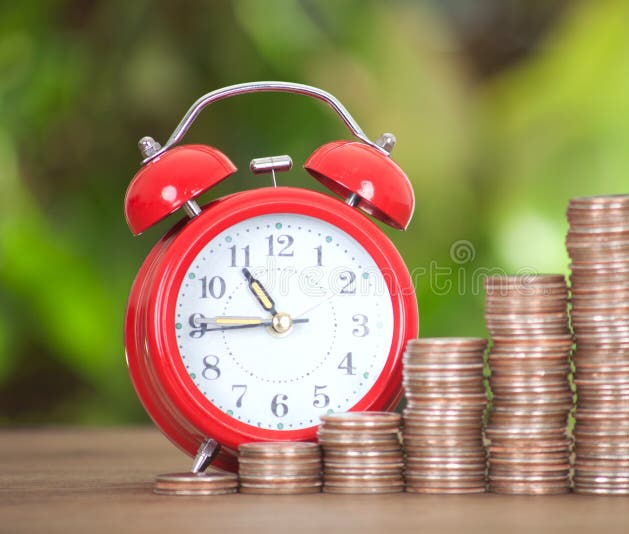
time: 10:44
